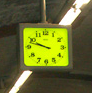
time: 9:47
